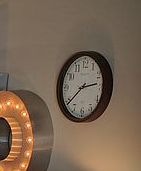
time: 2:38
